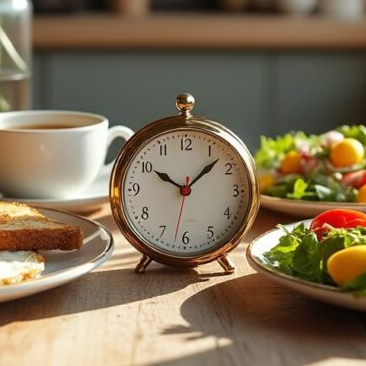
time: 10:07
